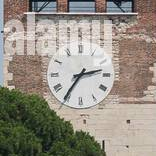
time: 2:35
